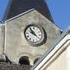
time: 9:53
